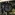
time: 9:01
